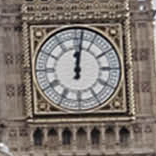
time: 12:01
